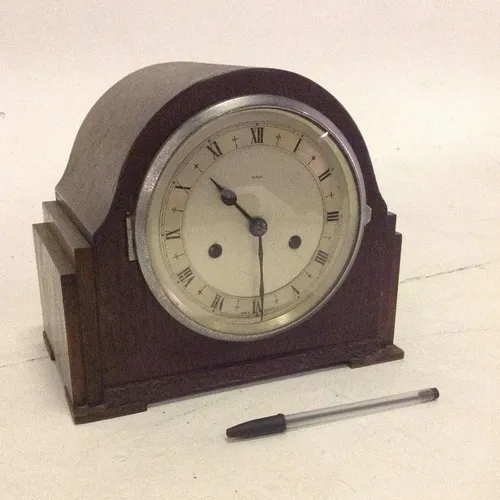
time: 10:29
